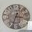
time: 3:32
